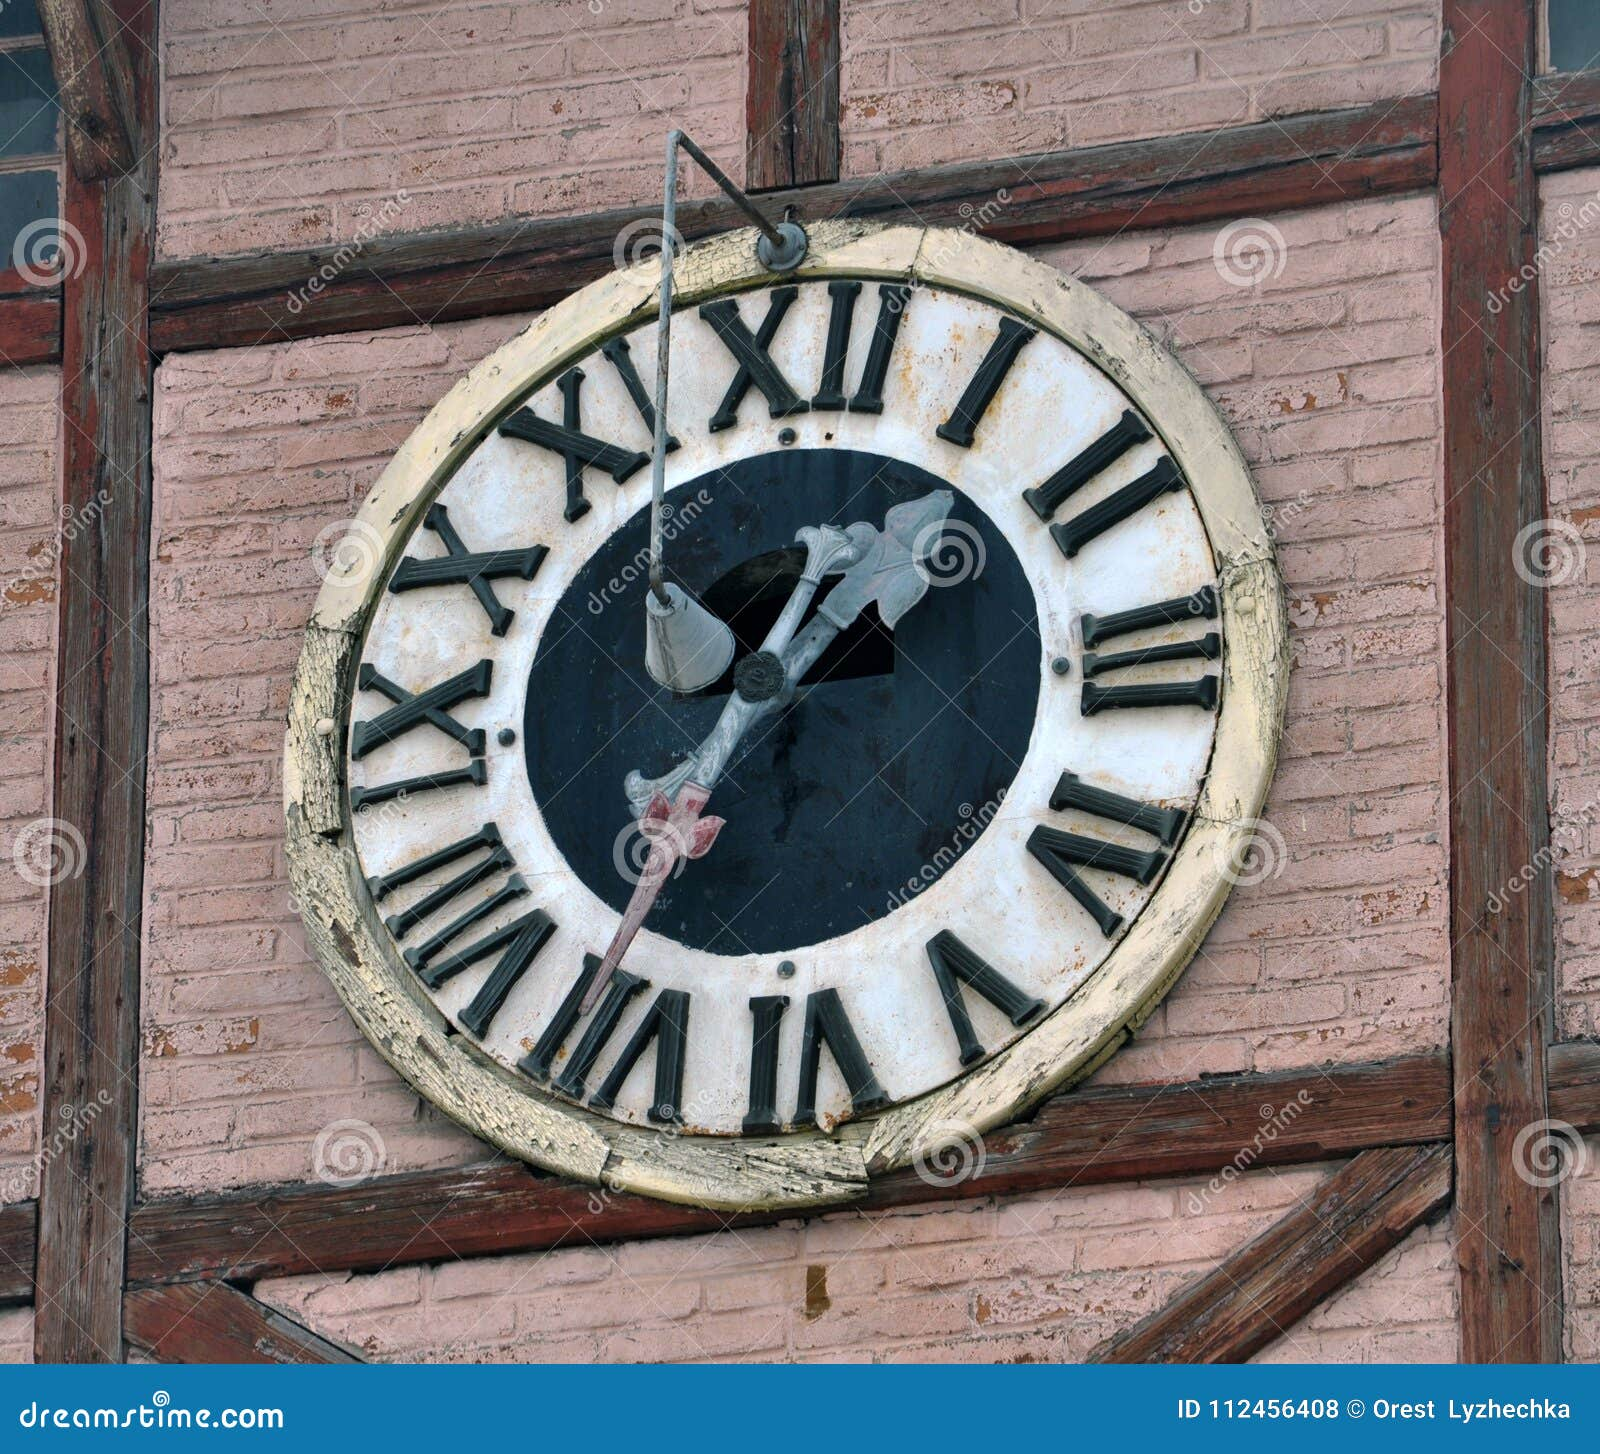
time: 1:35
